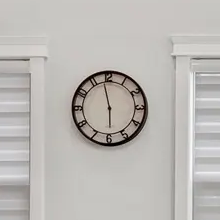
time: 5:58
